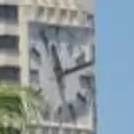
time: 11:11
